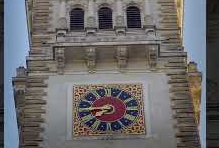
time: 7:44
